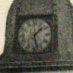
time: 1:27
